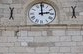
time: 2:59
